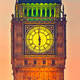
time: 5:58
